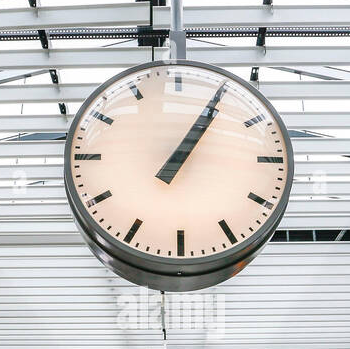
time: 1:04
